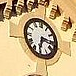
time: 6:15
